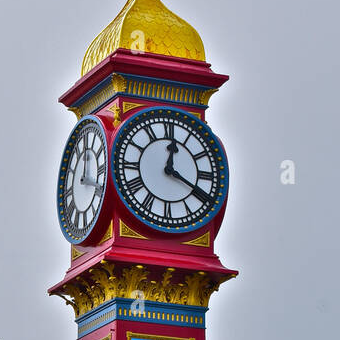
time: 12:19
